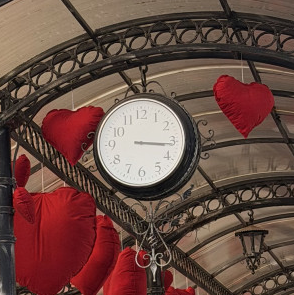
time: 3:16
